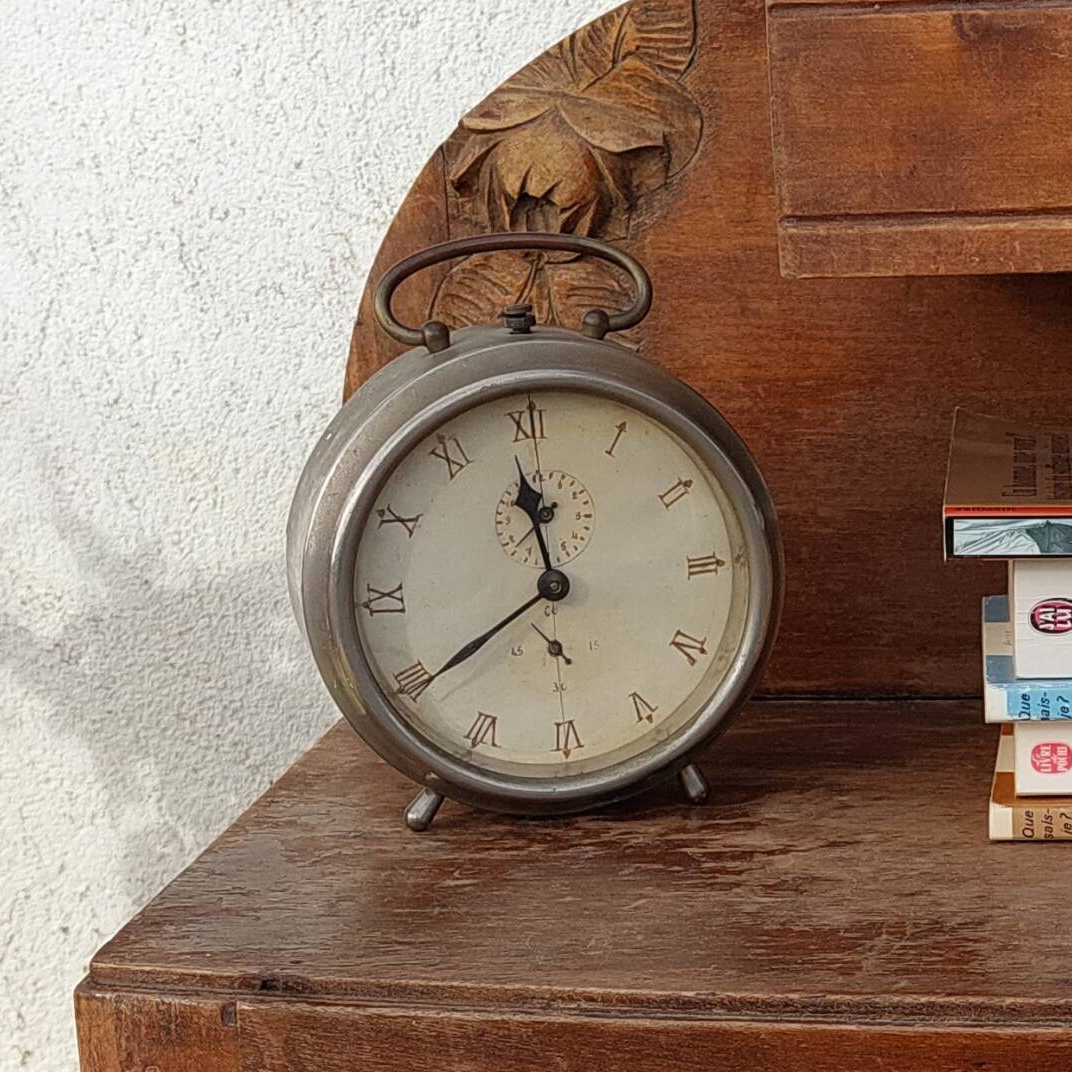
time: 11:39
